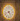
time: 4:42
